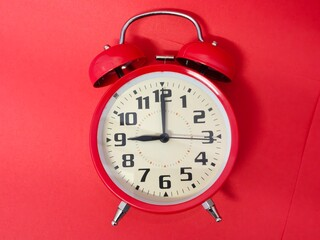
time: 9:00
